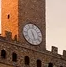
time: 5:26
